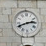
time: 2:41
